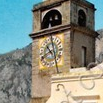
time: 10:41
